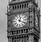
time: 12:19
